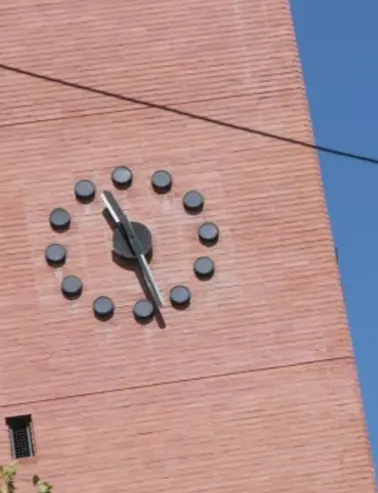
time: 11:28
